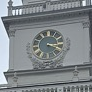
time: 3:19
